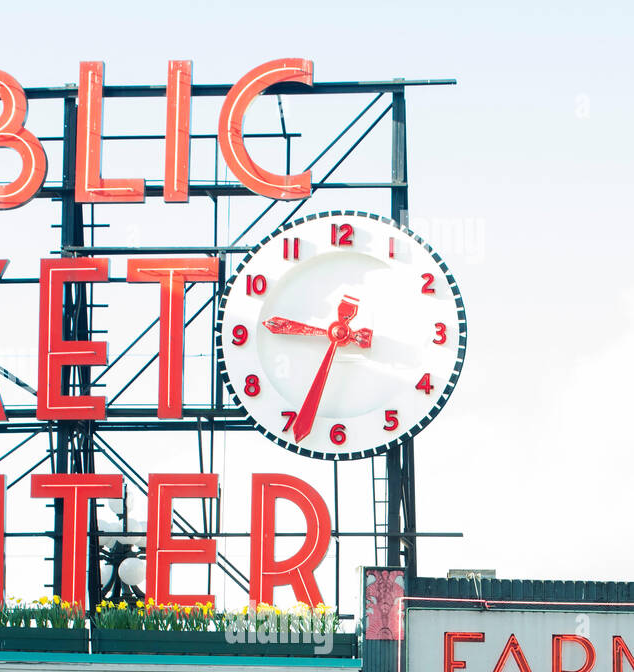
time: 9:33
